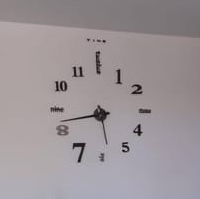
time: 5:42
